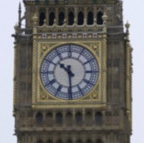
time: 10:29
